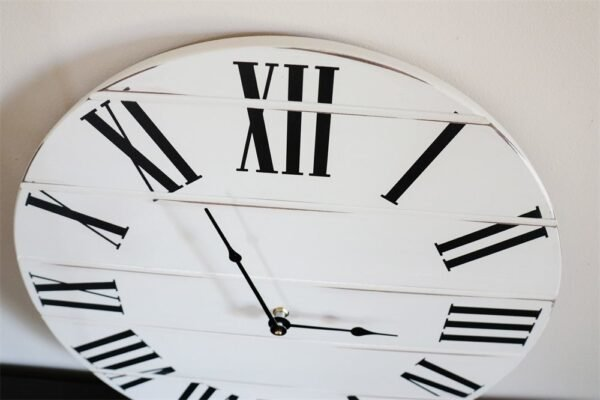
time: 2:55
